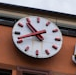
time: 10:41
